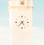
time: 4:38
